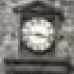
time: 3:45
